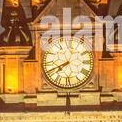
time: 7:41
